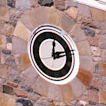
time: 12:12
